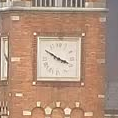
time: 3:50
